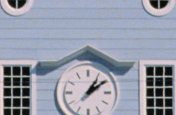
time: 1:08
